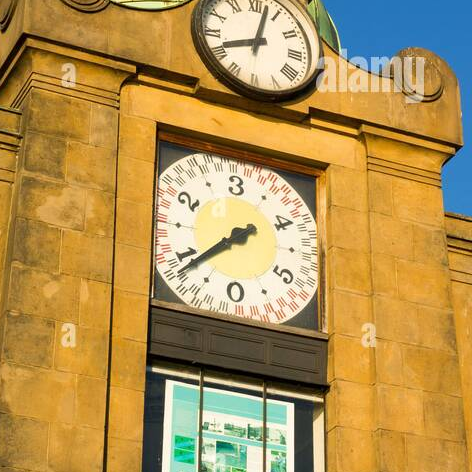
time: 7:38
